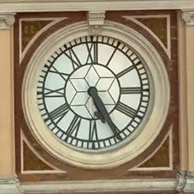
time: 5:25
